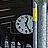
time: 12:24
